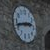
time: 2:42
